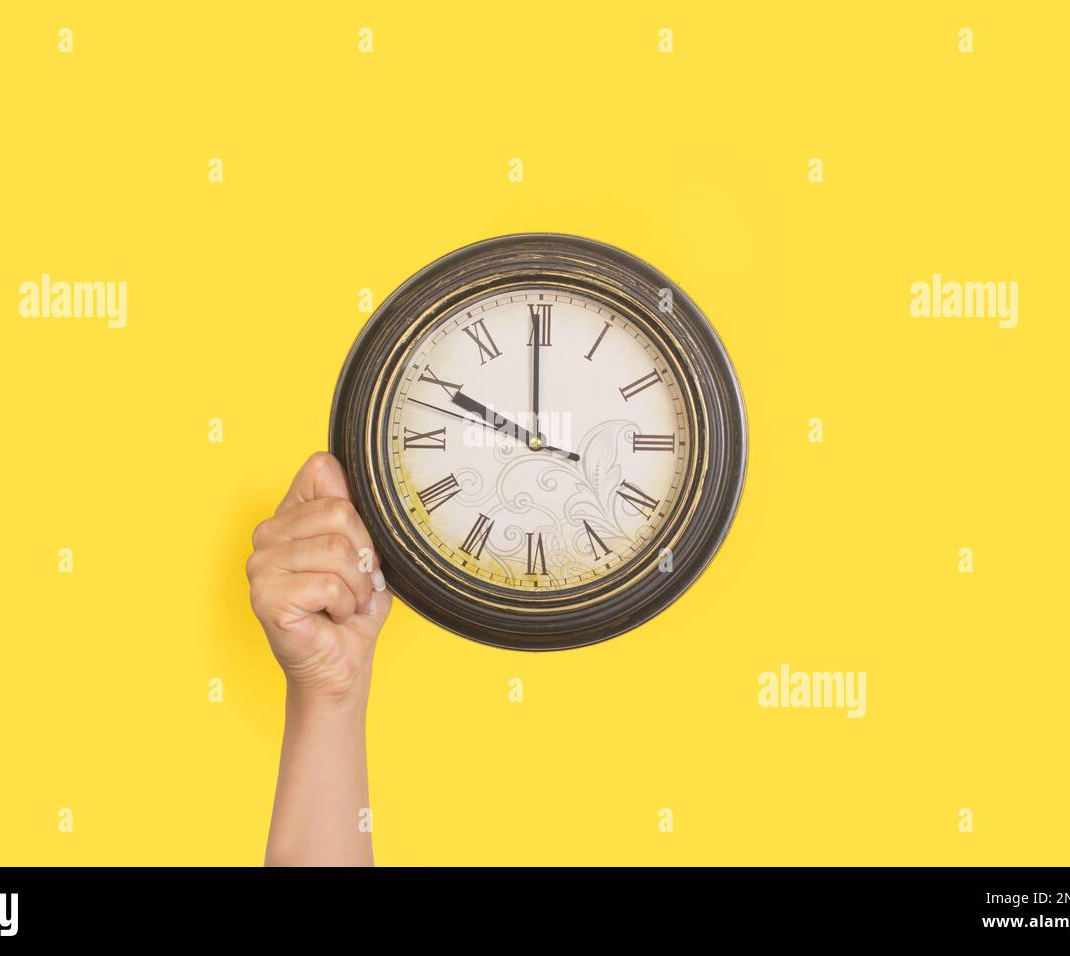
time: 9:59
